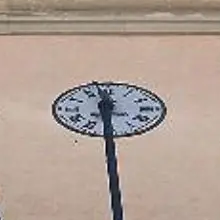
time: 11:29
